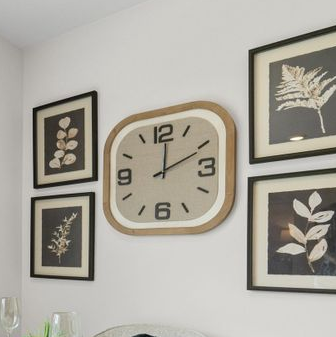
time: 12:10
